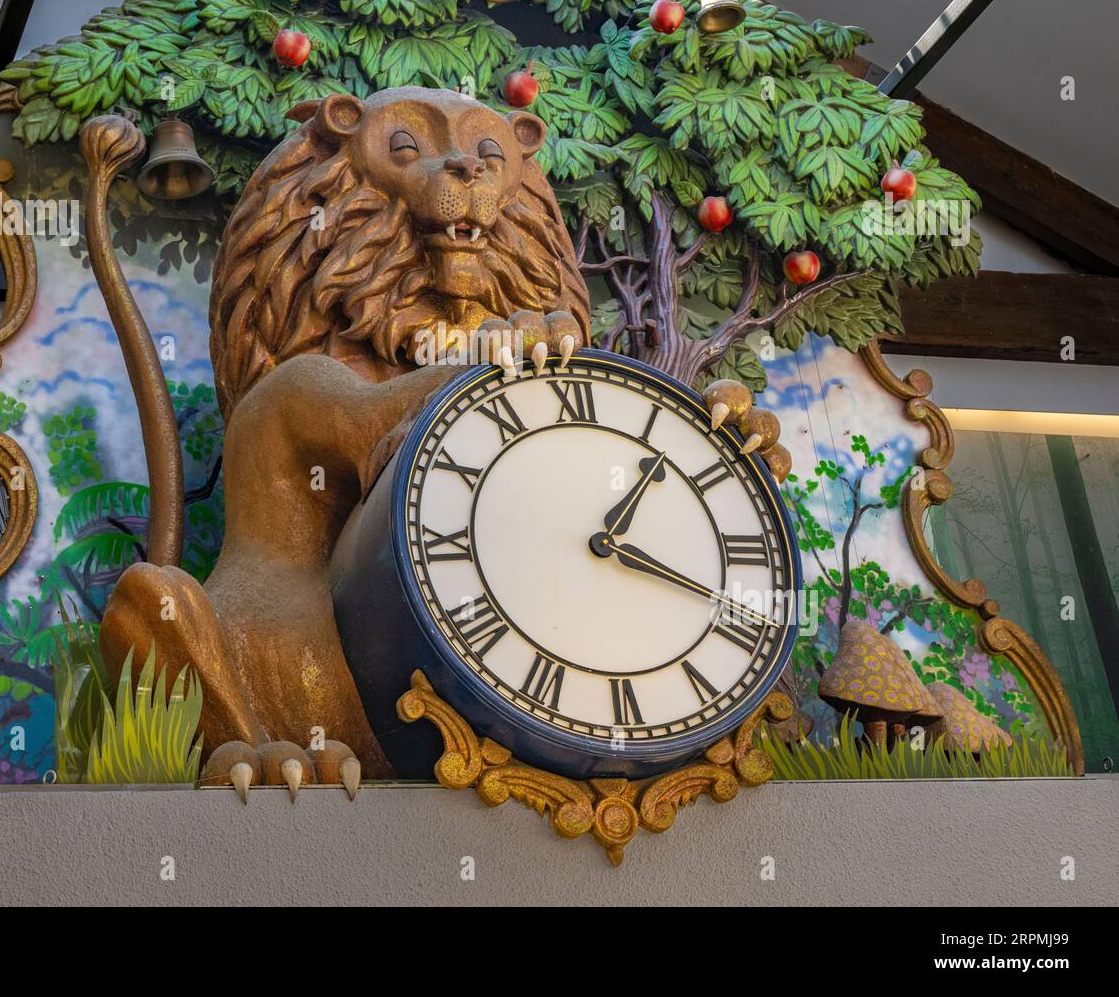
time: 1:18
